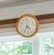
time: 4:35
